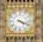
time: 4:18
